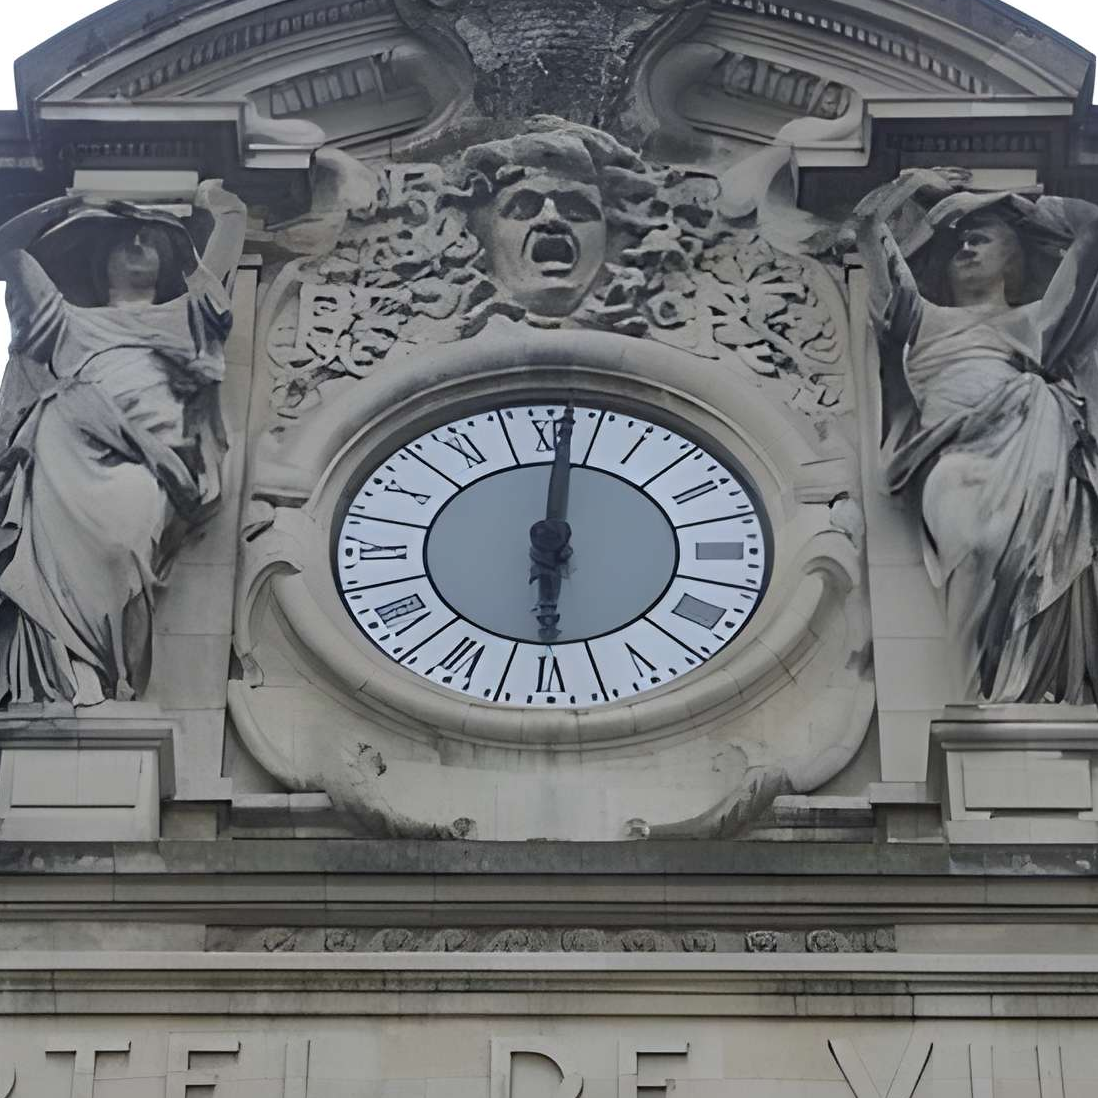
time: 6:00
